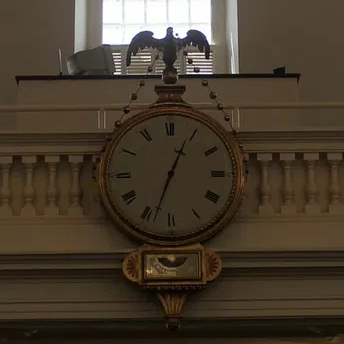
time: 12:33
